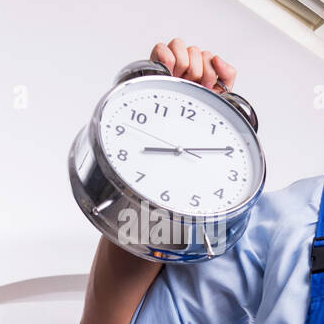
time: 8:10
